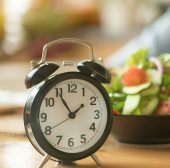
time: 1:54
